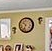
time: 10:33
